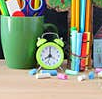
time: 8:00
